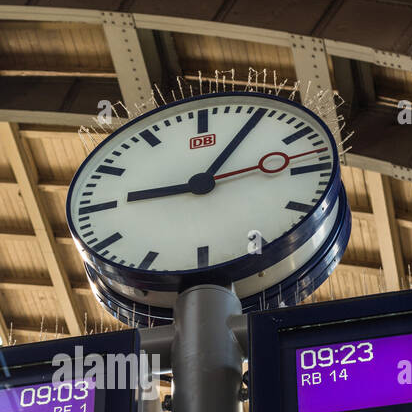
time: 9:05
